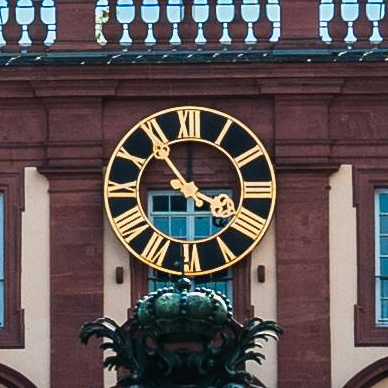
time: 3:54
